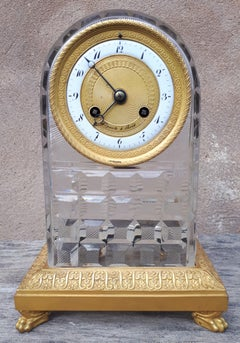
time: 7:52
